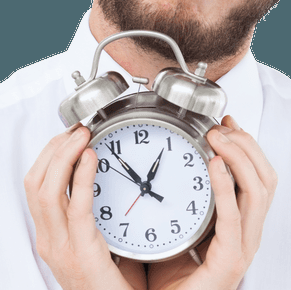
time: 12:53
